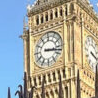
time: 3:17
